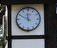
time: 11:49
